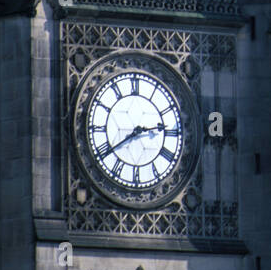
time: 2:39
